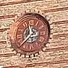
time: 11:37
